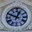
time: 12:48
